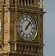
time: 1:07
